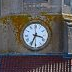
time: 3:34
